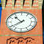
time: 10:39
